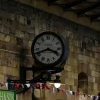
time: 3:41
